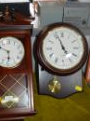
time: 4:56
